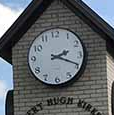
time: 2:19
